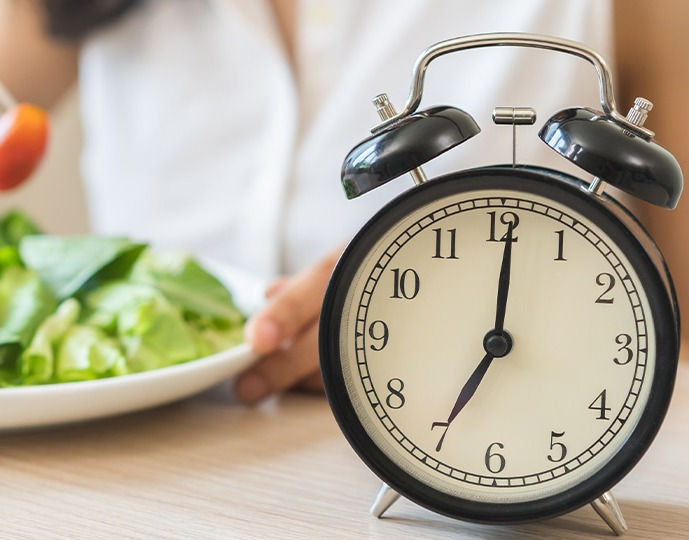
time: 7:00
